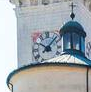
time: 10:07
